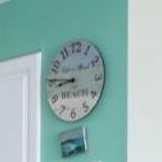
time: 8:46
